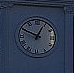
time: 12:49
